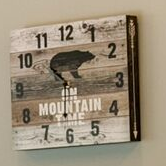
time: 10:31
